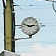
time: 2:48
